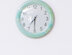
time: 7:30
